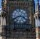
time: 3:40
